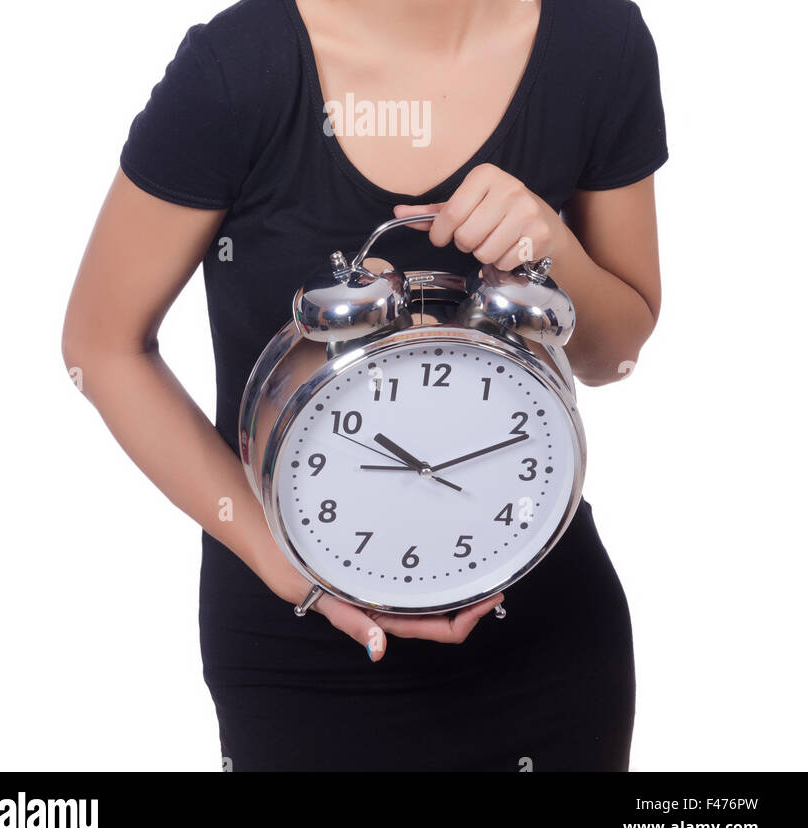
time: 10:11
